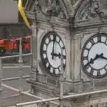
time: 3:00
